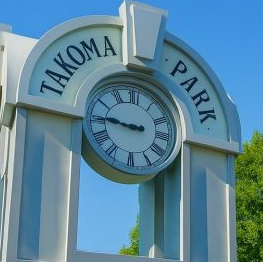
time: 8:45
